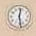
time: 12:28
